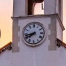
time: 7:42
